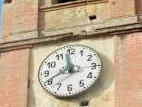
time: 11:40
